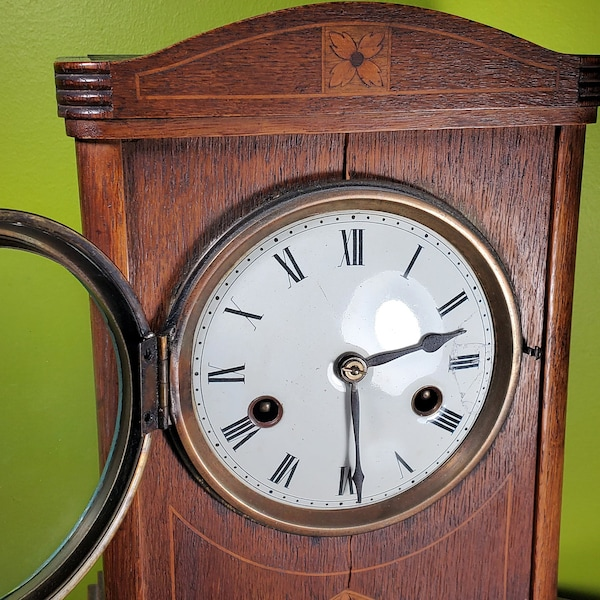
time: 2:29
